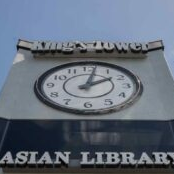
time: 2:02
